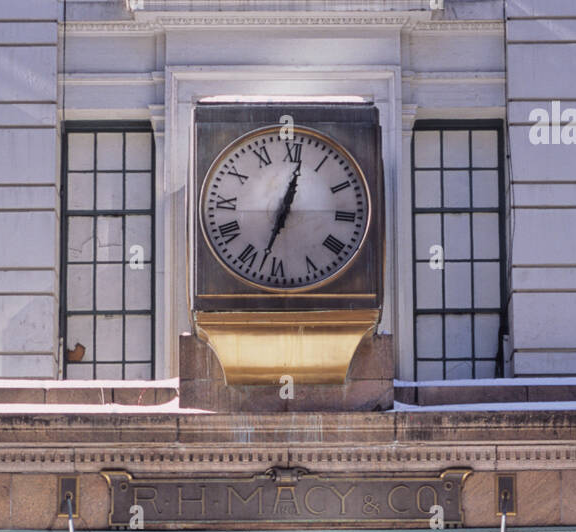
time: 12:32
